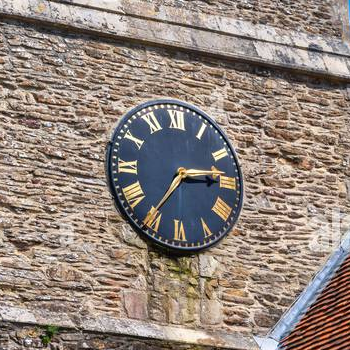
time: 7:14
